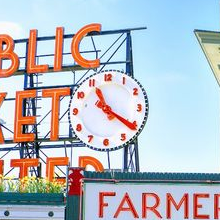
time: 11:20
